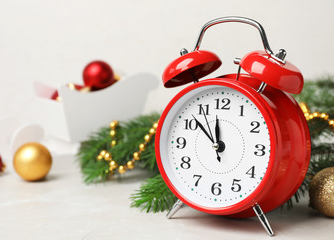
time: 11:51
